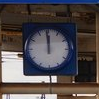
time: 11:58
